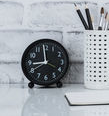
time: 8:59
